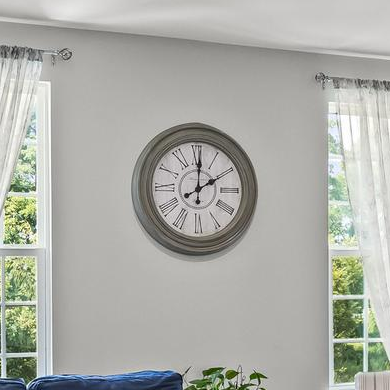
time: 2:00
